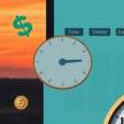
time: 3:14
